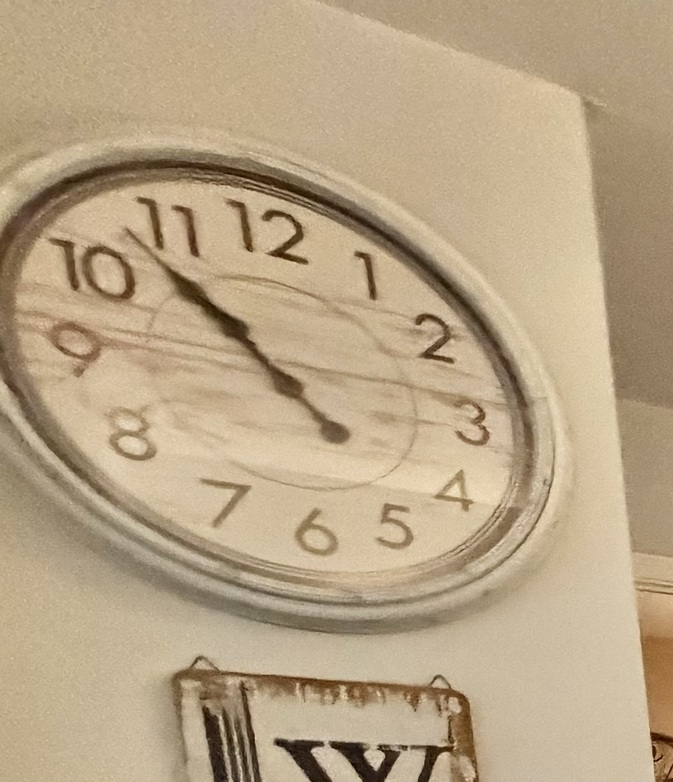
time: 10:53
